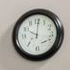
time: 10:00
